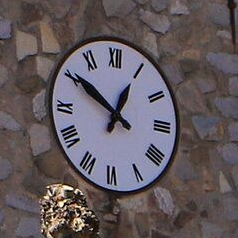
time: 12:50
